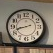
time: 8:42
